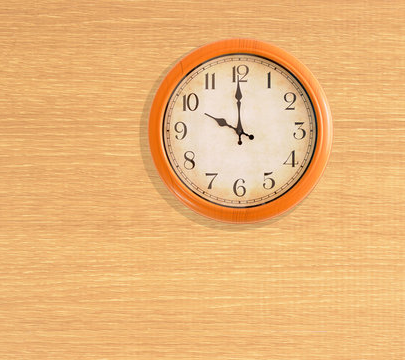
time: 9:59
